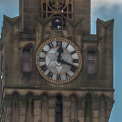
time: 12:18
